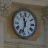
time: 11:32
